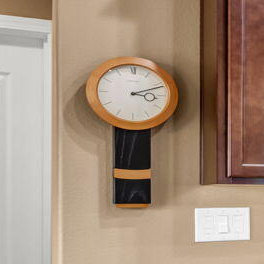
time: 3:11
